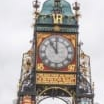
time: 11:00
